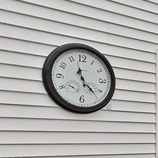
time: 11:23
